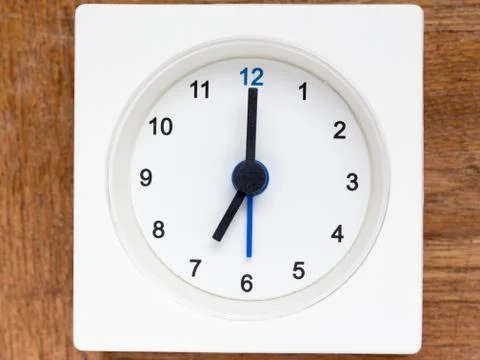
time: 7:00
